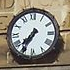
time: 7:35
